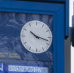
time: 10:17
